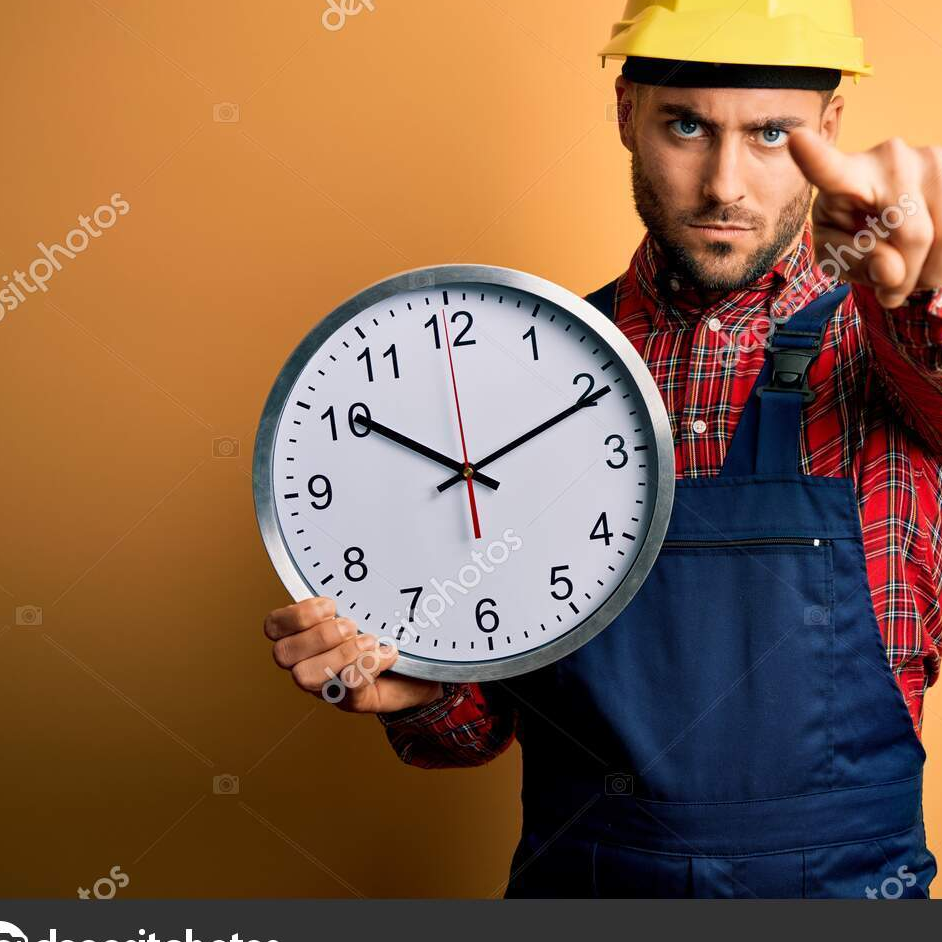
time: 10:10
